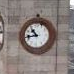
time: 10:43
